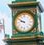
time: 9:50
